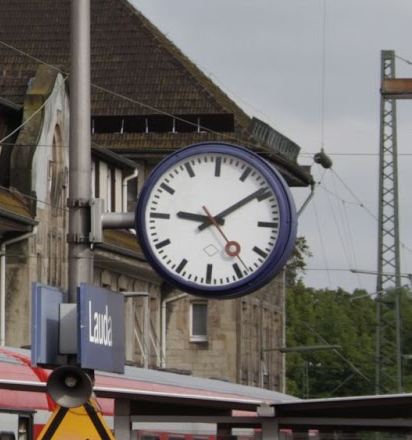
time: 9:09
